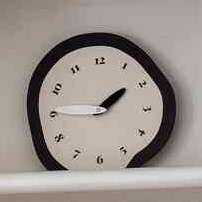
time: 1:45
